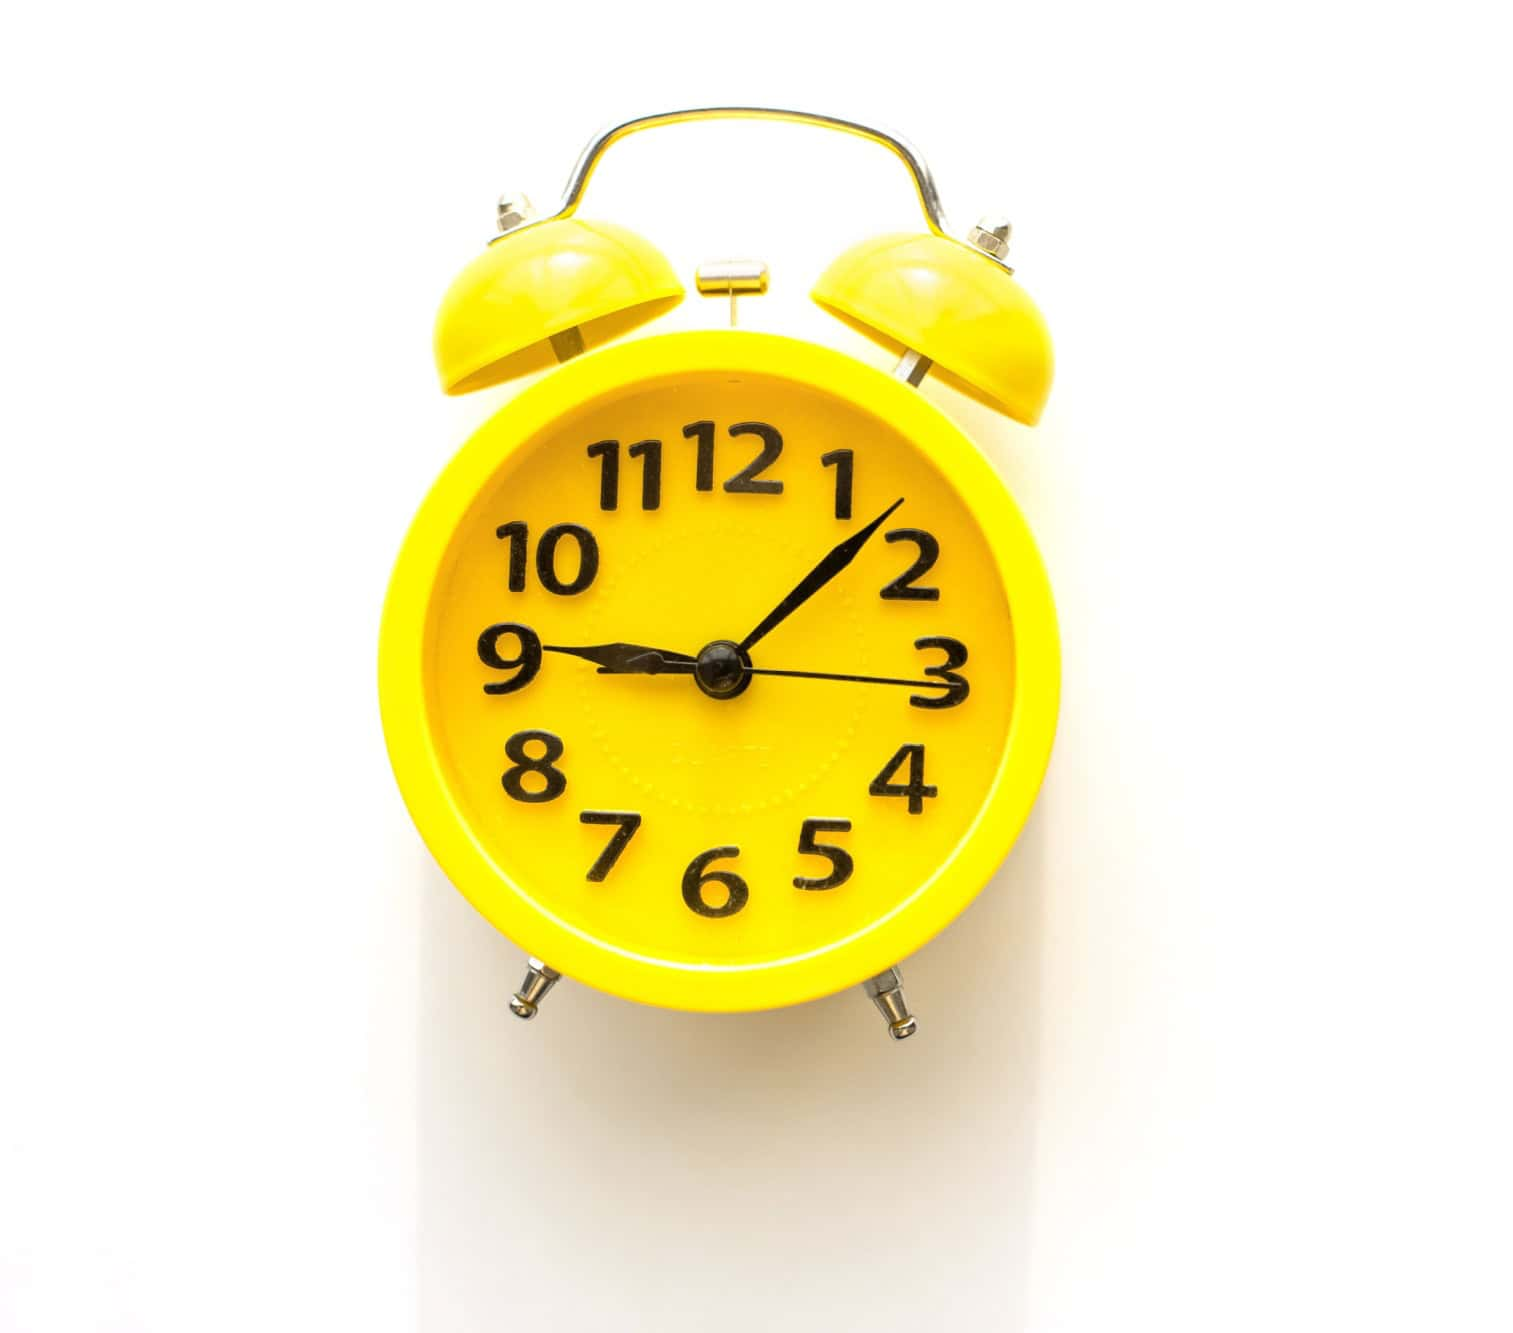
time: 9:07
